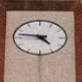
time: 4:46
